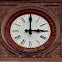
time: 3:00
